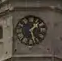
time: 1:27
